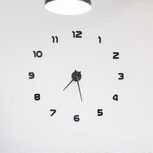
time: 7:27
